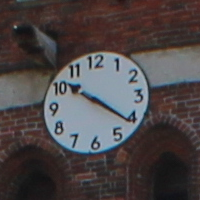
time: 10:21
